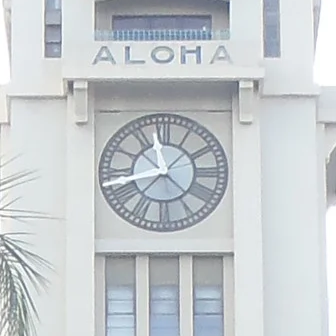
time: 11:42
